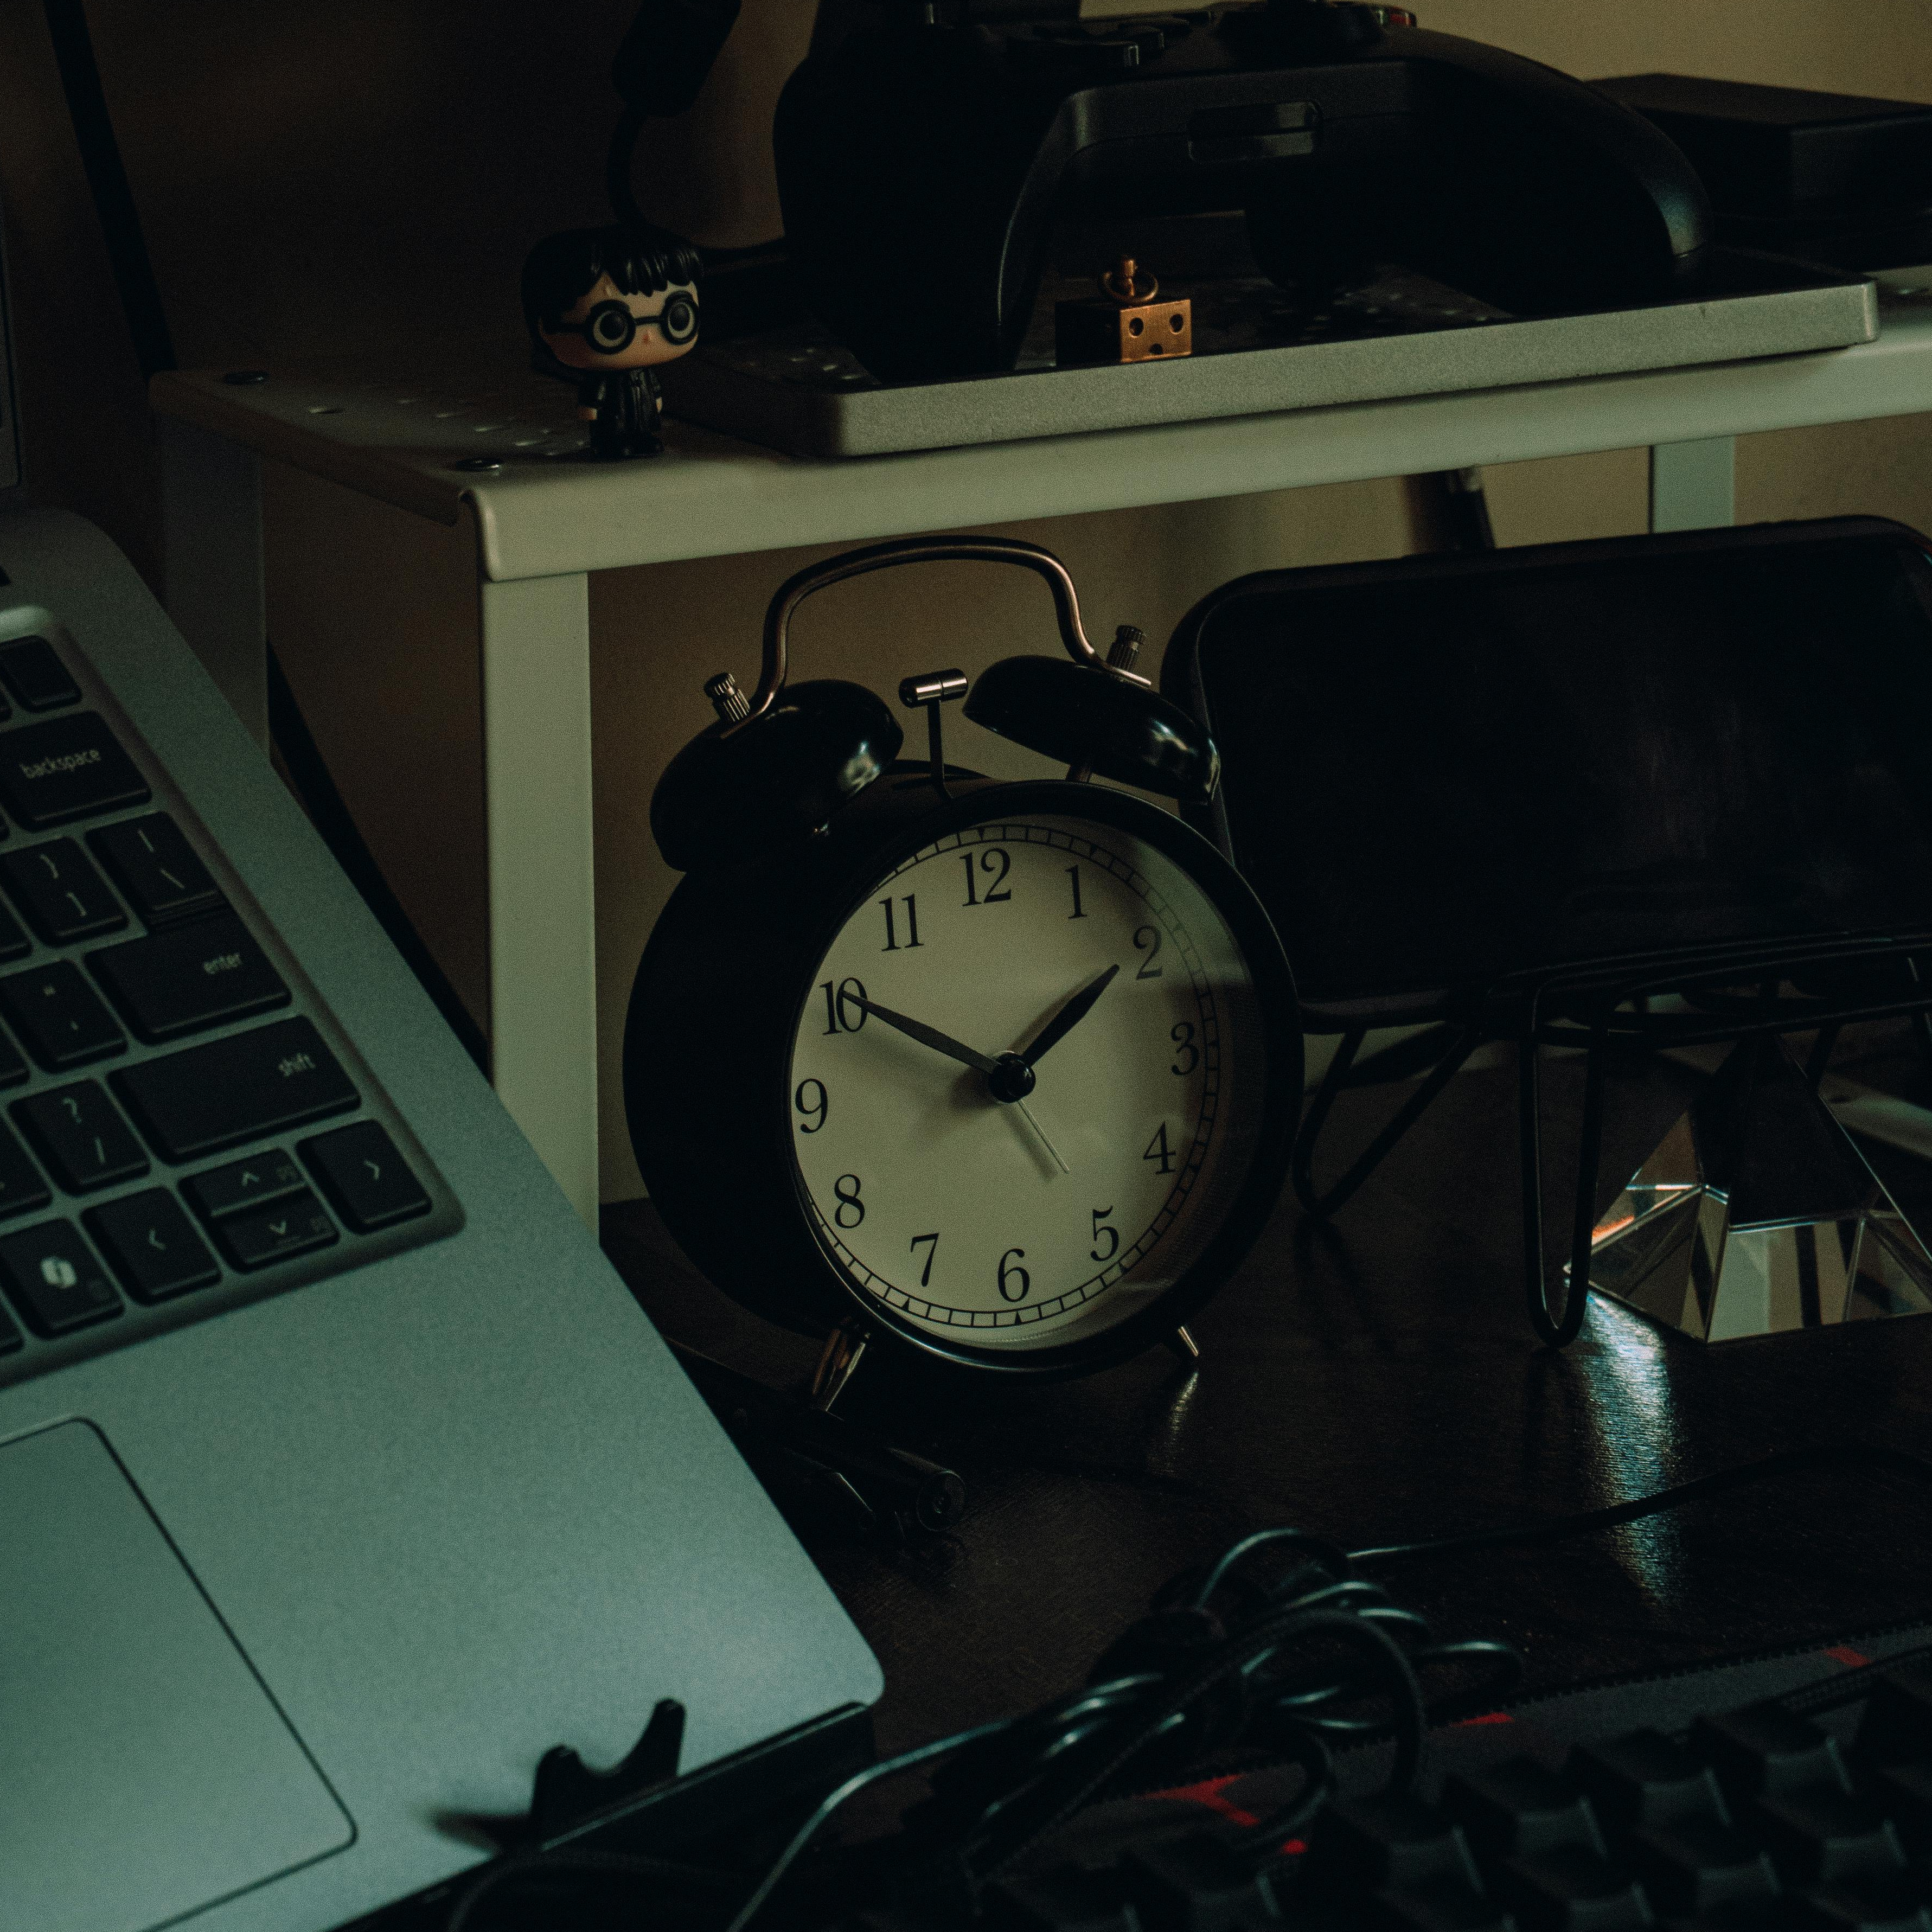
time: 1:50
